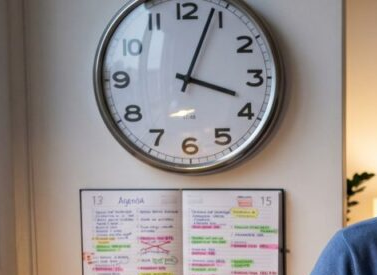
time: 4:03
